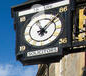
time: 11:07
